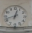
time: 12:41
